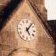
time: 5:06
